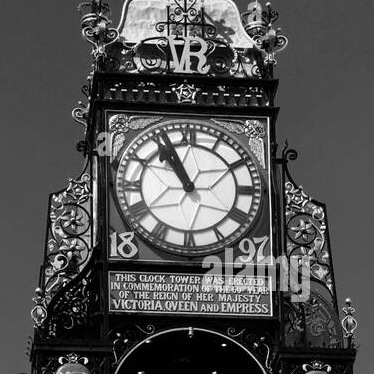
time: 10:56
